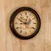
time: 8:49
